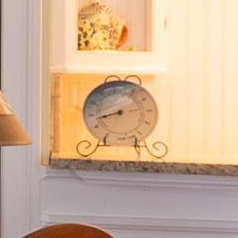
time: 8:42
